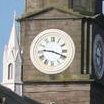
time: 9:18
